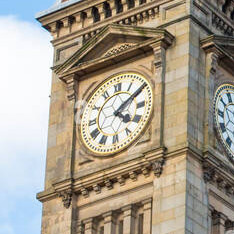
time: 4:09
